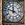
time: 11:47
